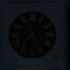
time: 7:25
